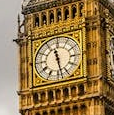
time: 11:28
